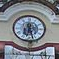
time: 6:27
